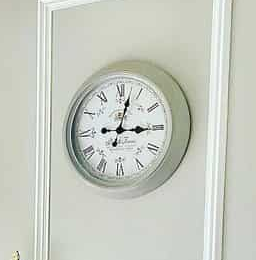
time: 3:02
